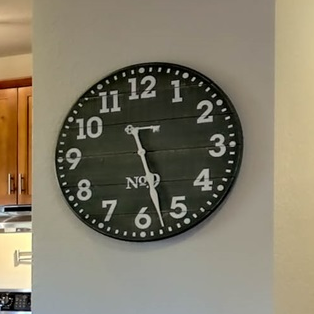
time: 5:27
